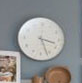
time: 3:26
